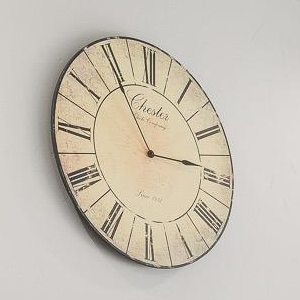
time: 2:54
